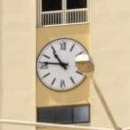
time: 10:46
